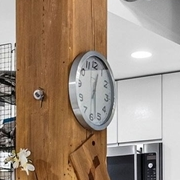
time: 12:28
